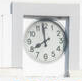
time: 7:58
